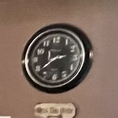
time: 2:38
